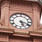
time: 5:18
